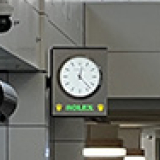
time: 12:23
